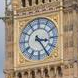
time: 3:24
